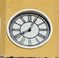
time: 8:04
